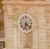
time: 6:22
